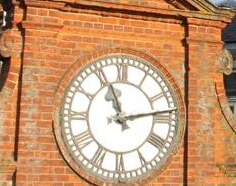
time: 11:13
